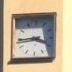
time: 3:44
